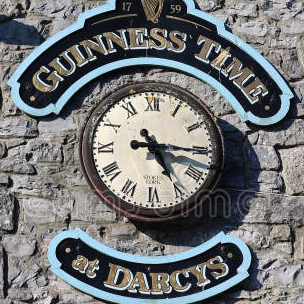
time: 5:15
